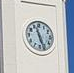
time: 11:26
